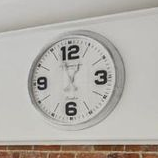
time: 12:57
